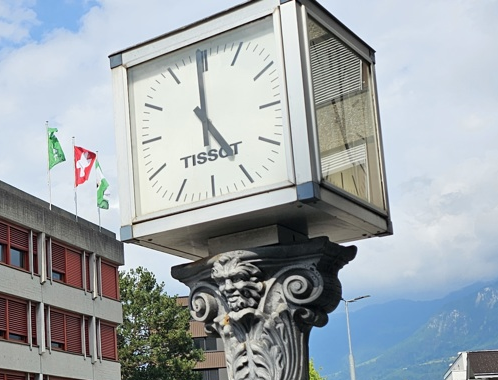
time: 4:59
